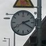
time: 2:20
